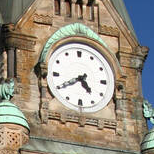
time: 4:39
